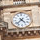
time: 4:37
